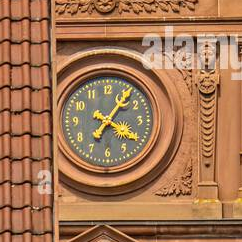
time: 4:06
